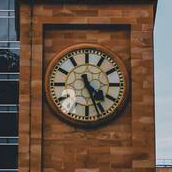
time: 4:26
